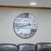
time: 2:42
